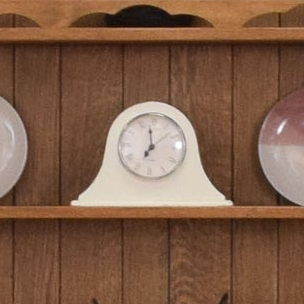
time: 7:01
